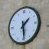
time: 1:28
